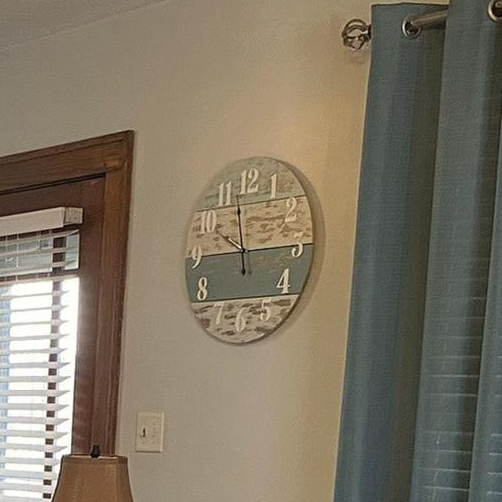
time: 9:57
